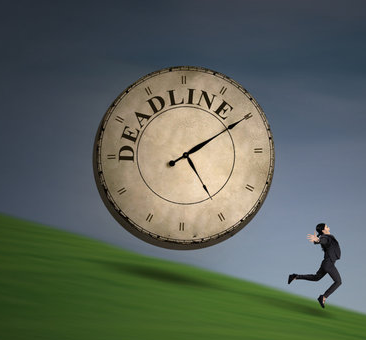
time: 5:09
